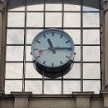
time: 11:14
